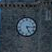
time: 5:15
